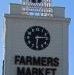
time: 6:14
